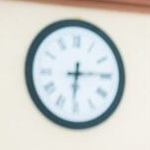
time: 6:14
